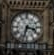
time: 3:33
